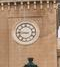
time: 8:46
